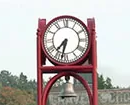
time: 7:32
